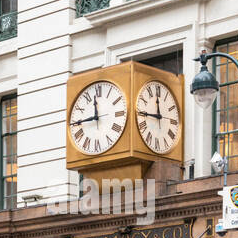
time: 11:44
